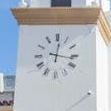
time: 12:16
